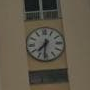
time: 7:31
